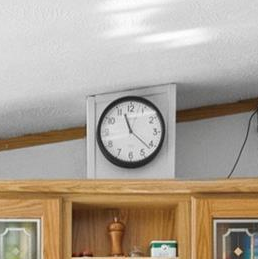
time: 11:21
